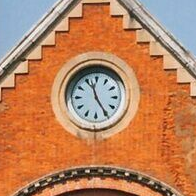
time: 11:24
